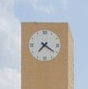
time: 7:20
